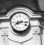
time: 8:16
